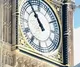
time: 10:54
